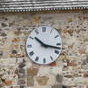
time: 10:17
